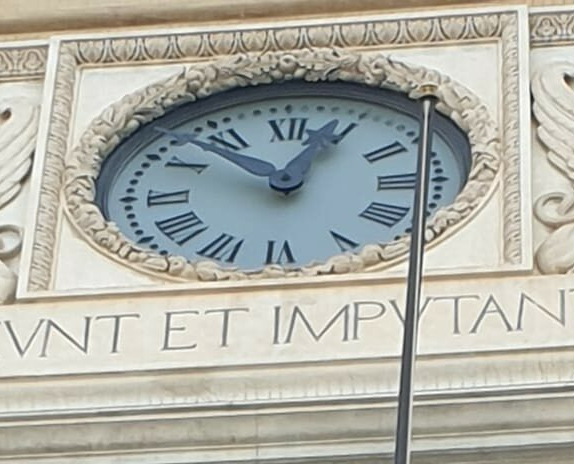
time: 12:52
